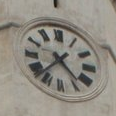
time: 4:37
